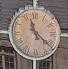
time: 11:21
